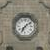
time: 7:08
